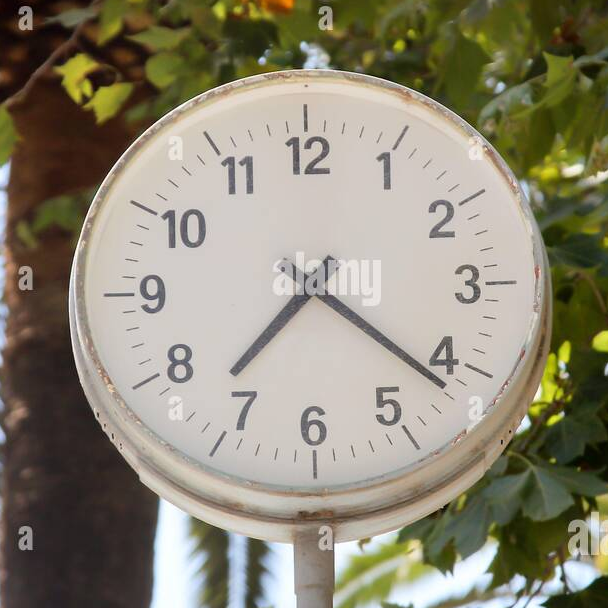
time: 7:21
